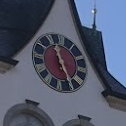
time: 11:25
